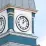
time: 12:07
